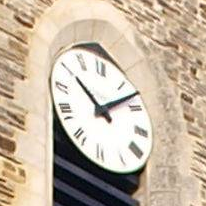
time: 10:07
